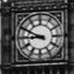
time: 8:49
